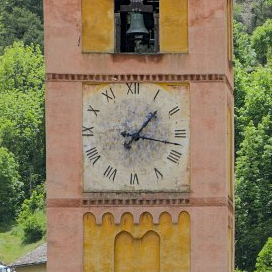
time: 1:17
